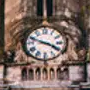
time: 3:48
